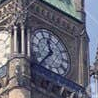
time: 11:37
